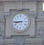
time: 8:45
